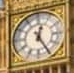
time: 12:24
